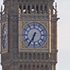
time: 6:34
